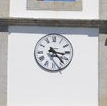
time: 3:23
